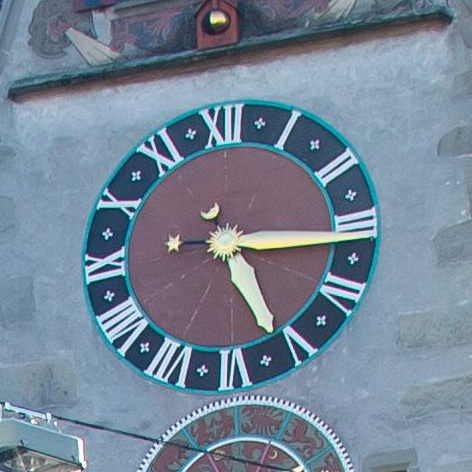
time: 5:15
